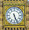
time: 5:26
